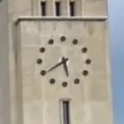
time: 5:39
